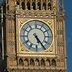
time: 5:24
